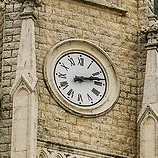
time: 2:12
